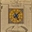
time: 5:07
